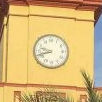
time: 9:42
